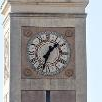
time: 1:33
